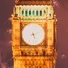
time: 5:11
